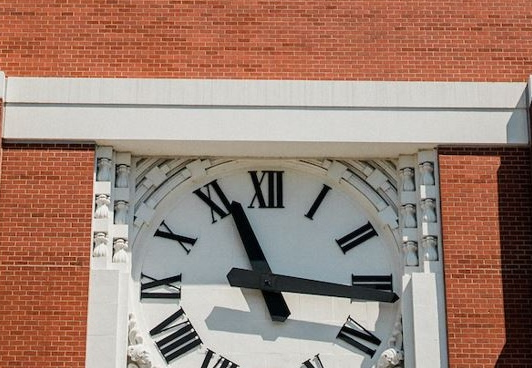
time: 11:15
